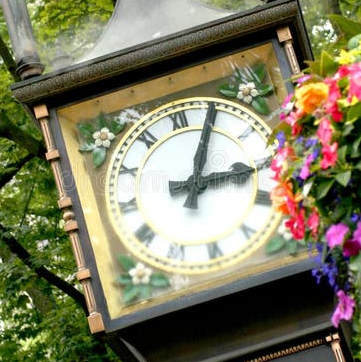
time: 3:04
